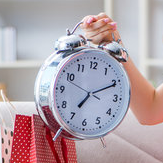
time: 7:10
